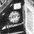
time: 8:12
